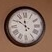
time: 11:50
